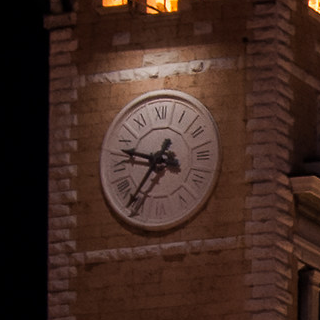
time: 9:36
